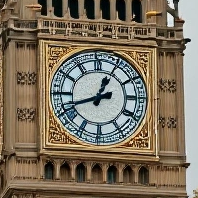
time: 12:42
